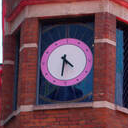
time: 4:32
